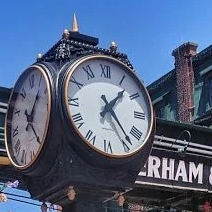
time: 1:23
